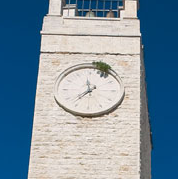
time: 11:37
